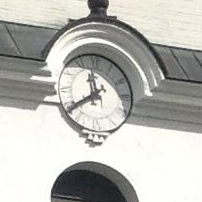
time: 11:39
